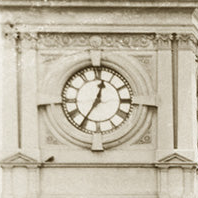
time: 12:35
